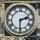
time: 2:30
